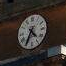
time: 4:34
